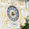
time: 7:12
